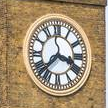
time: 3:37
